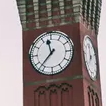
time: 11:37
